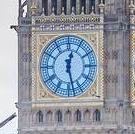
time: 12:27
